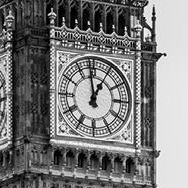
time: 12:58
